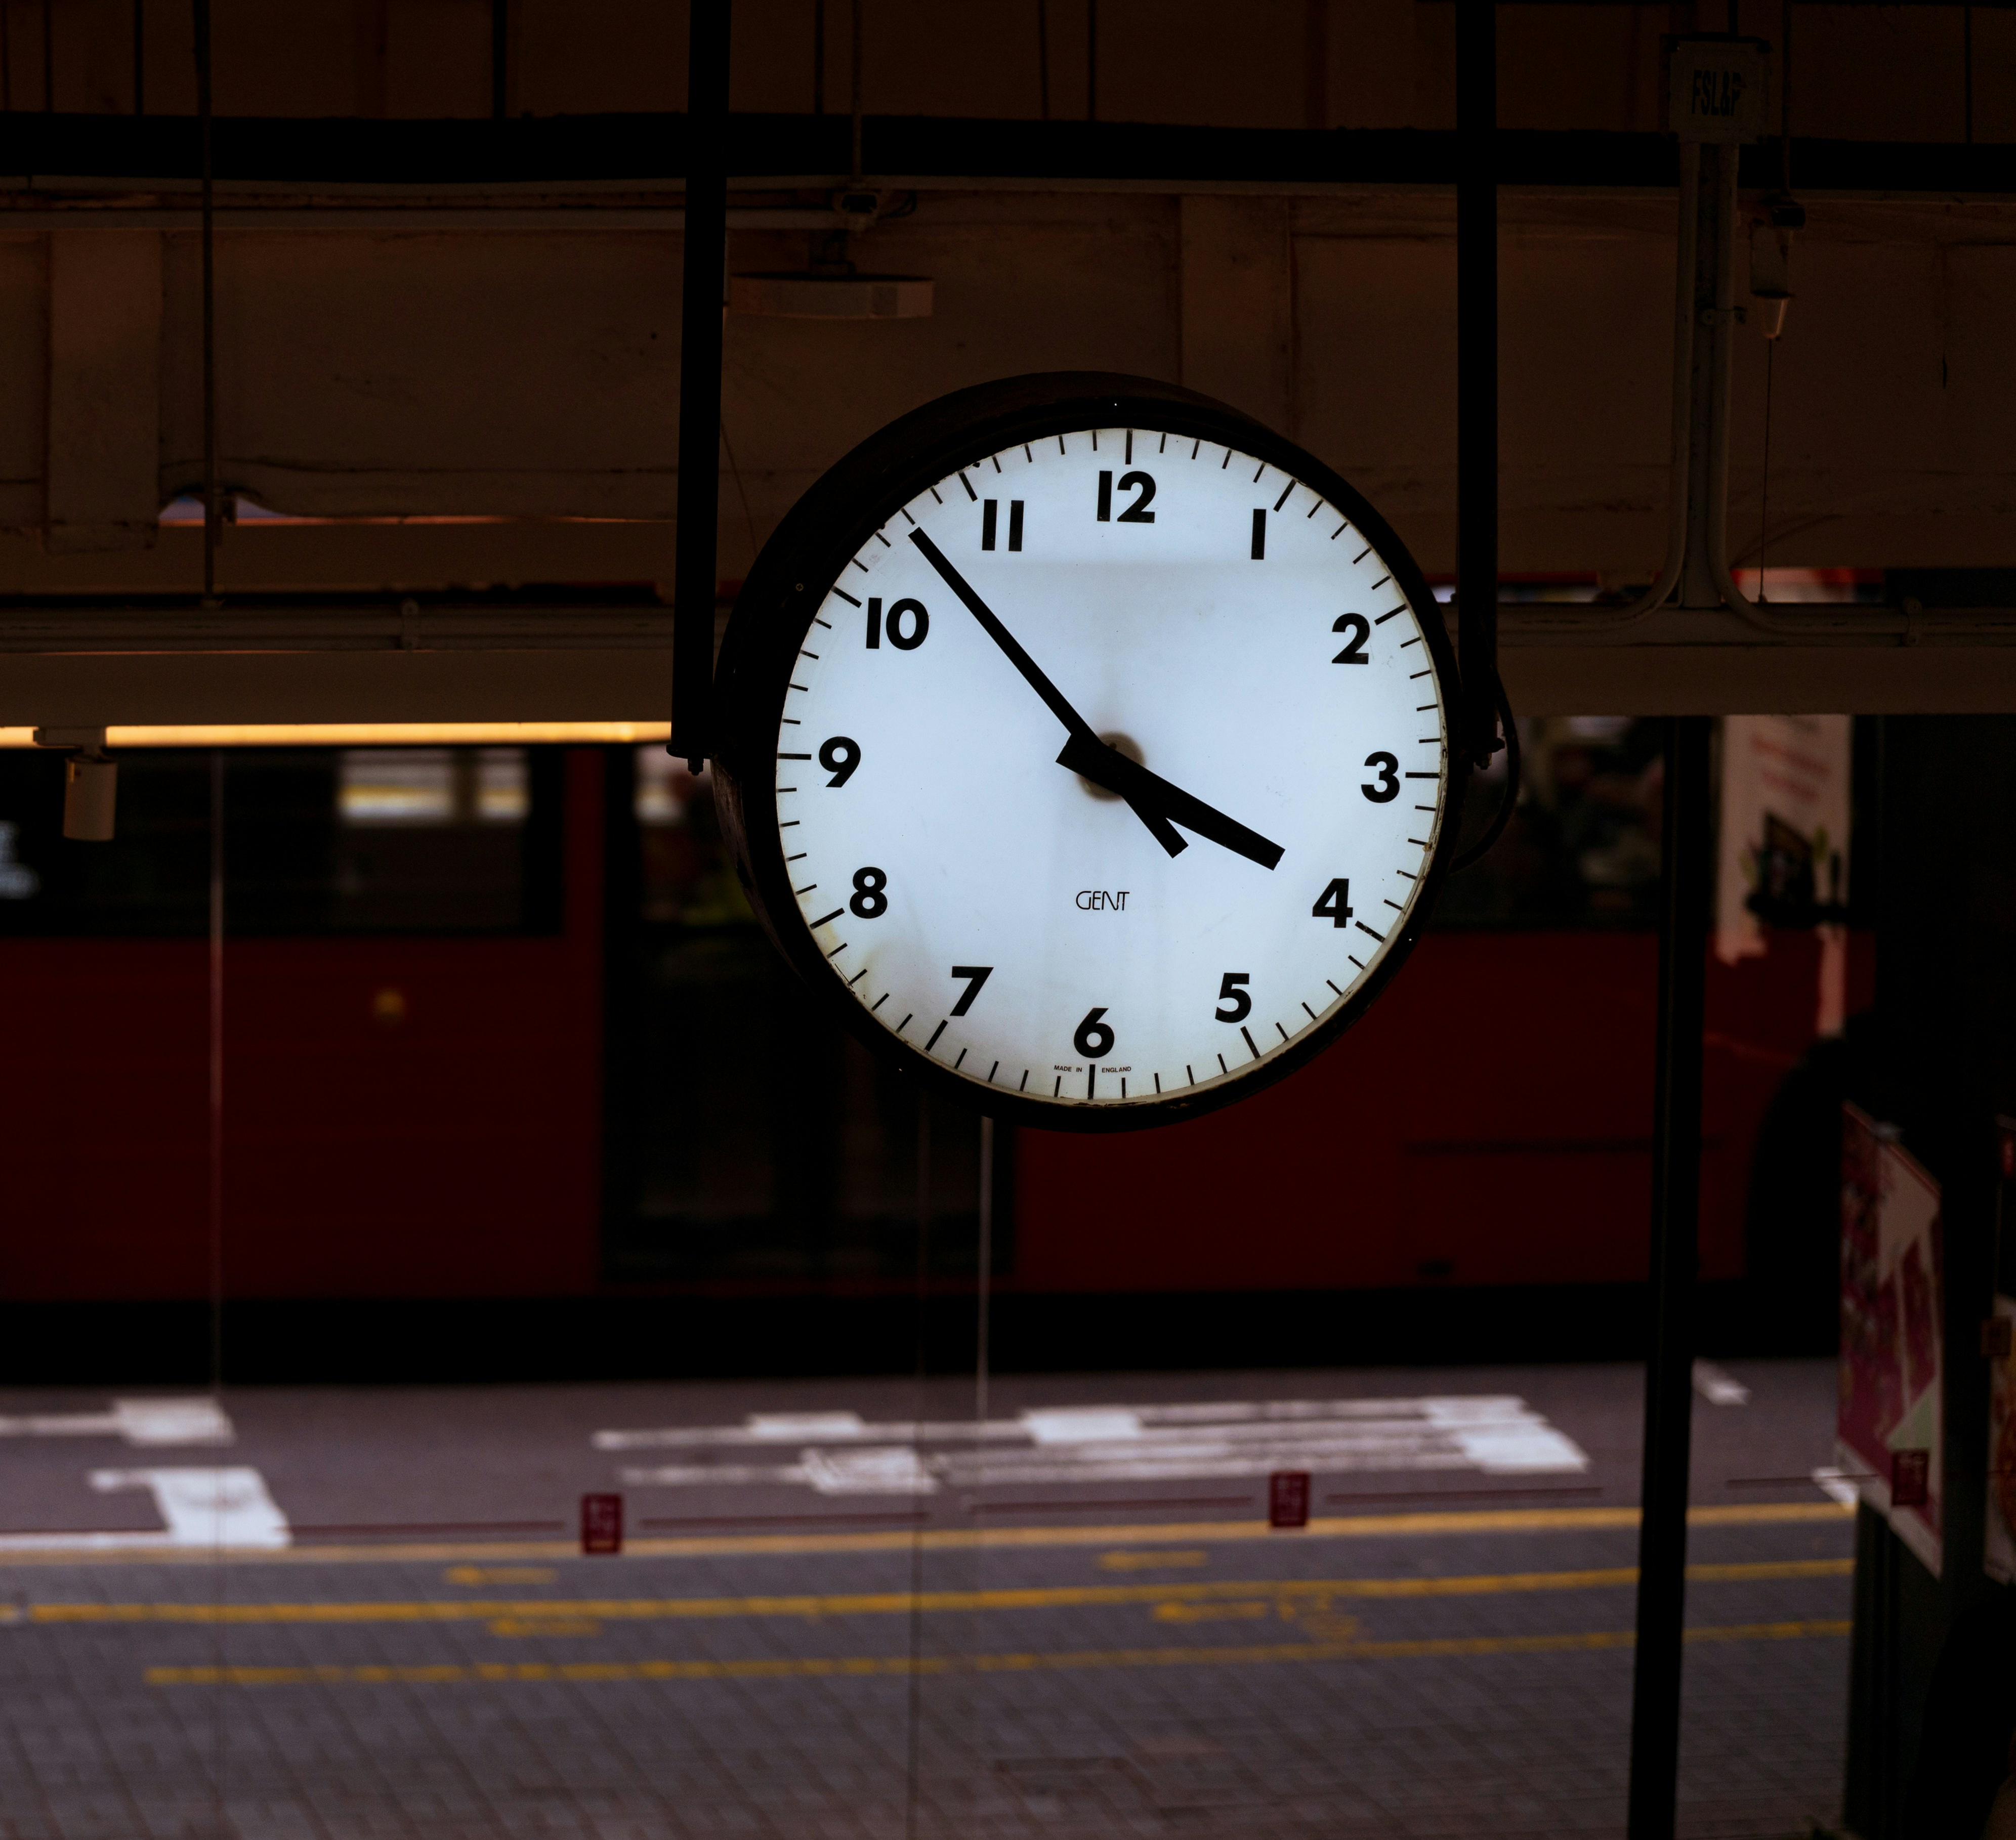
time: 3:52
